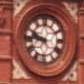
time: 9:45
